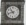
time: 10:42
